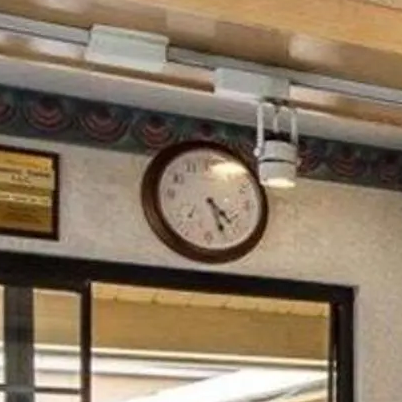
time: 4:26
